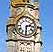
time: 2:30
